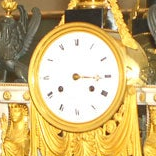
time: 3:15
